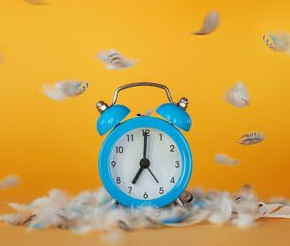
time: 7:00
